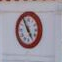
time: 4:54
